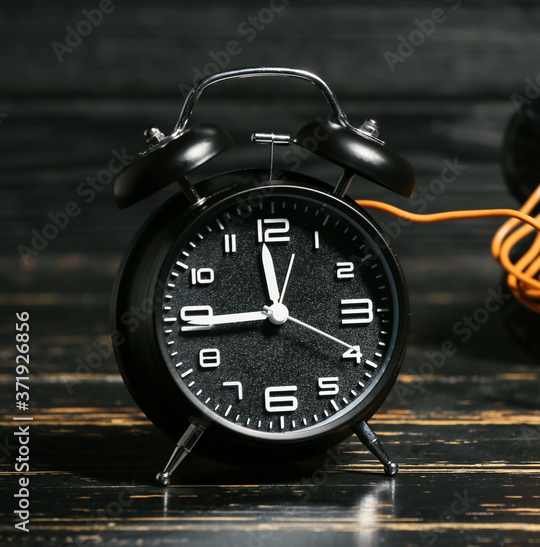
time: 11:44
